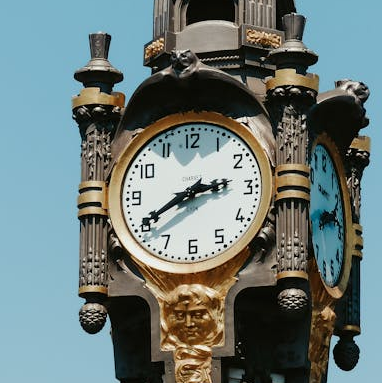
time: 2:40
